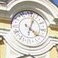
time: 4:02
